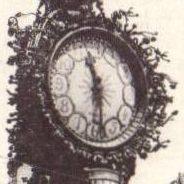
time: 11:29
